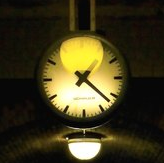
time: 1:21
